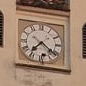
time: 7:21
